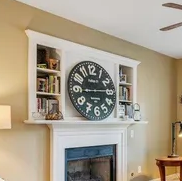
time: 9:14
